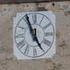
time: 4:56
